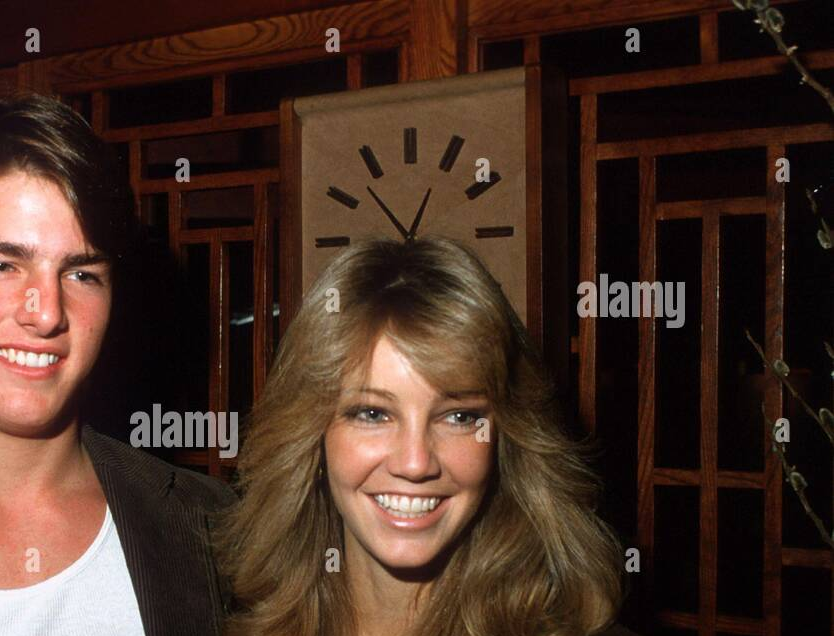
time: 12:52
